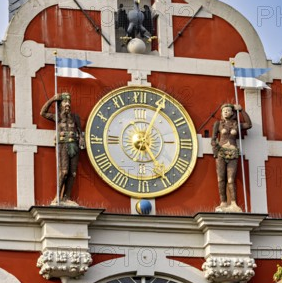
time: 5:04
